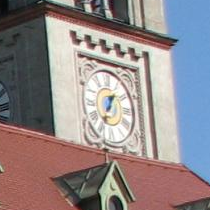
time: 12:34
